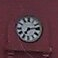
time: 7:13
